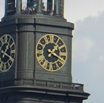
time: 1:18
